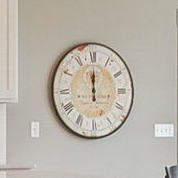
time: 12:00
